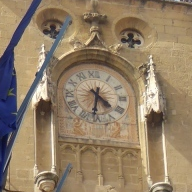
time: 4:31
